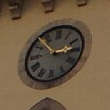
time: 2:52
